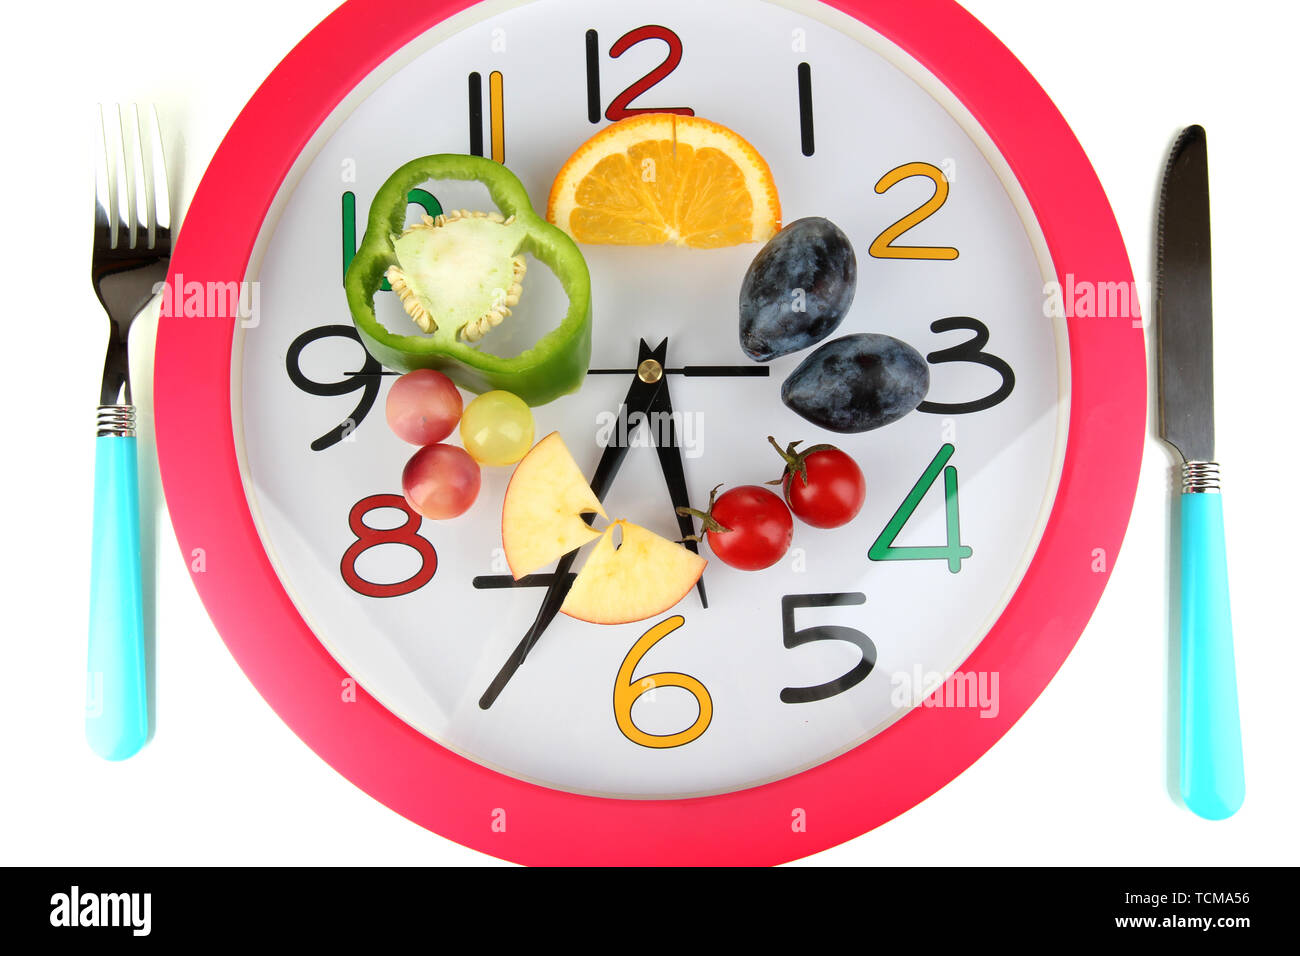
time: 5:34
